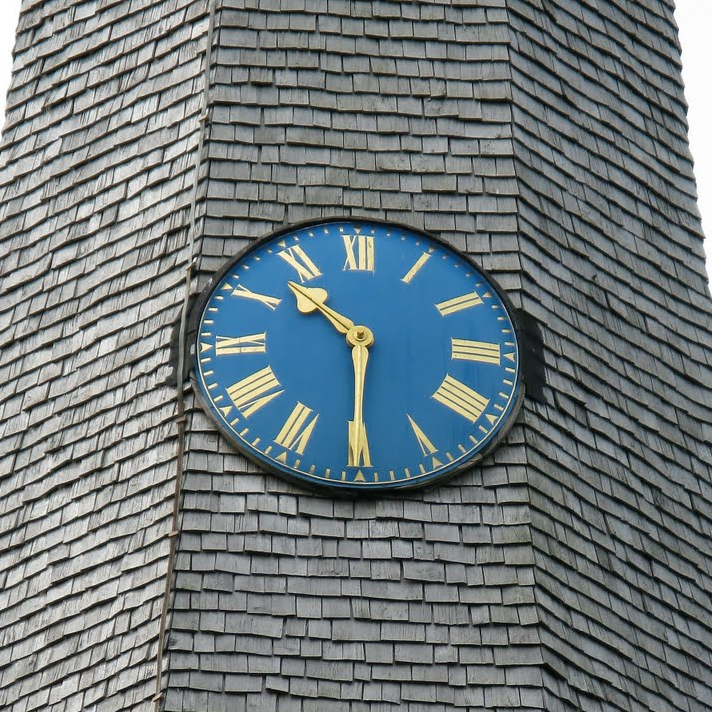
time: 10:30
